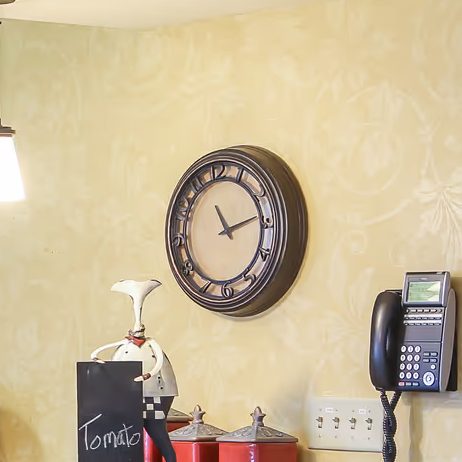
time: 11:13
